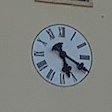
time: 5:19
